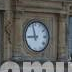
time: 8:57
